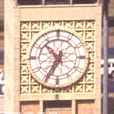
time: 10:34
